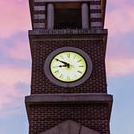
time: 8:50
